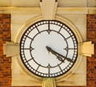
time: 4:19
